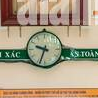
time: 9:33
